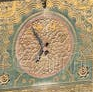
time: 6:54
